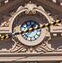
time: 1:12
